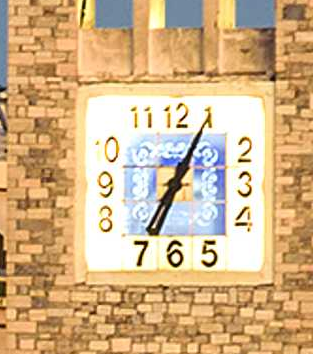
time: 7:04
